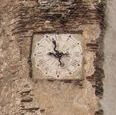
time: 8:57
